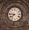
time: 7:46
